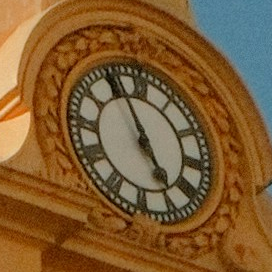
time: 4:56
